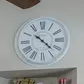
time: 10:22
